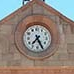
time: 7:25
